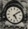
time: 5:08
